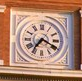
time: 7:19
